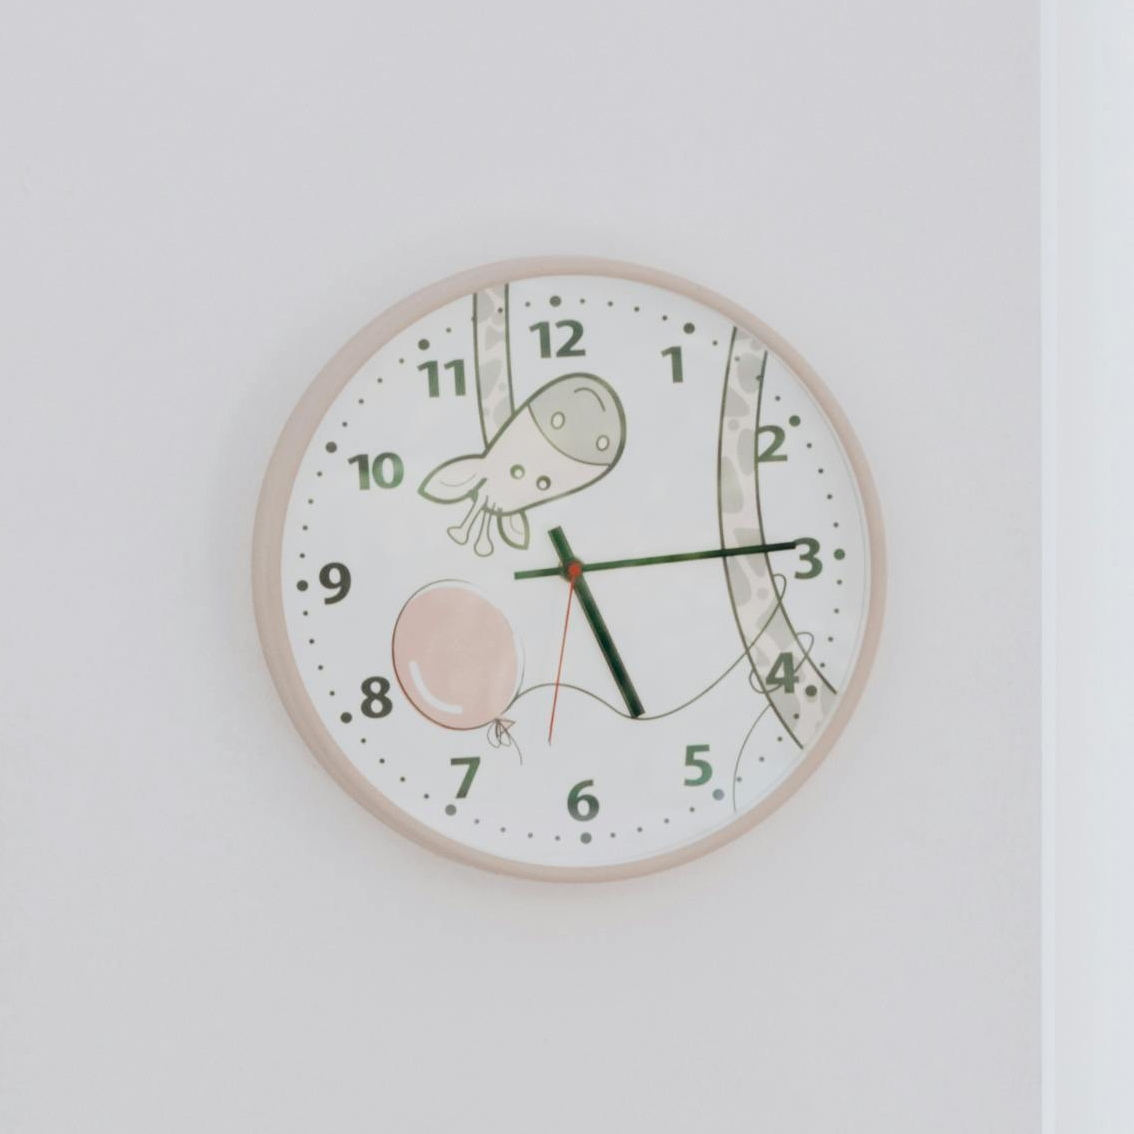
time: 5:14
